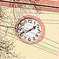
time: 1:41
